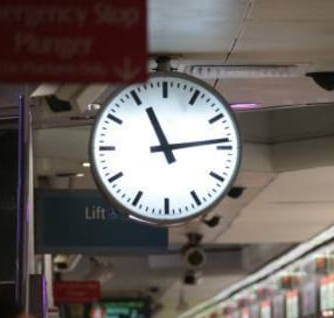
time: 11:13
